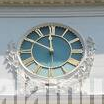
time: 11:50
